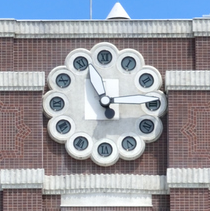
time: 11:14
